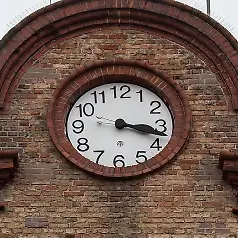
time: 3:17
